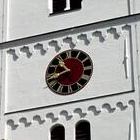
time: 10:41
